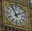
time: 1:56
